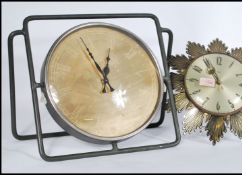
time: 12:55
